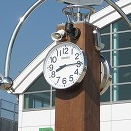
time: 8:14
